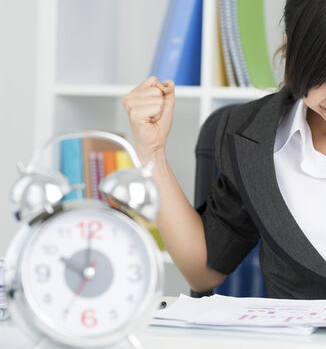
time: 10:00
